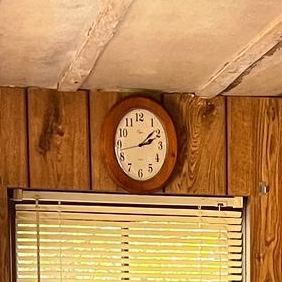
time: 2:08
